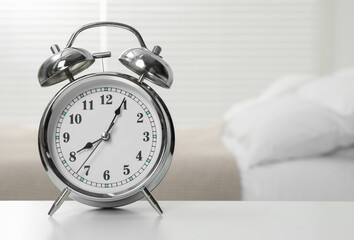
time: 8:04
